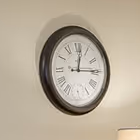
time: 12:14
